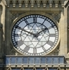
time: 1:49
